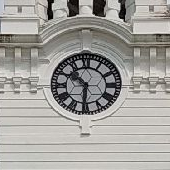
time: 10:30
